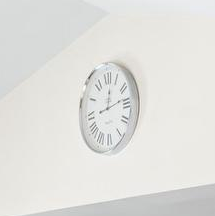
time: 12:13
